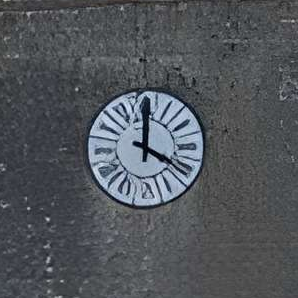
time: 4:00
